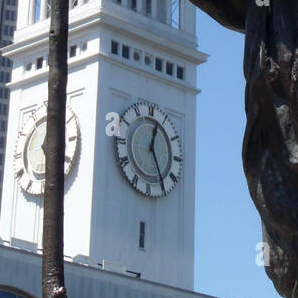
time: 12:24
